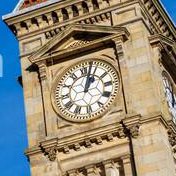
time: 1:02
